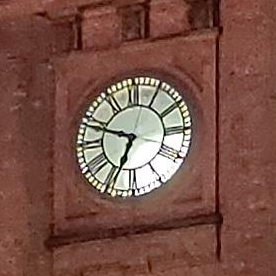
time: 6:48
